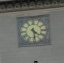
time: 4:29
